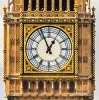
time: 12:56
